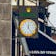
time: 12:24
